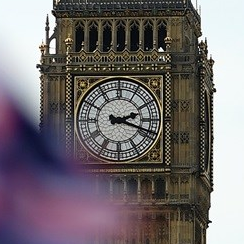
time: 2:18
